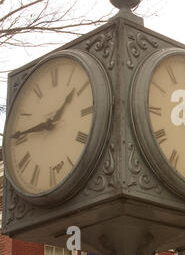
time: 1:45
